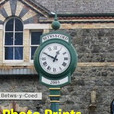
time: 12:49
